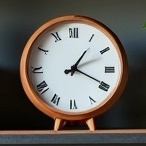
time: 1:19
